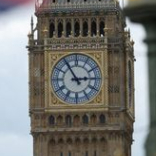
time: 2:54
